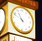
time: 10:48
